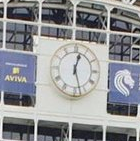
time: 12:27
